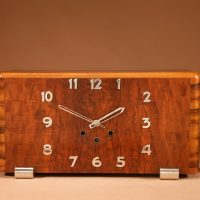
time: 1:49
